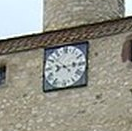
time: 8:14
